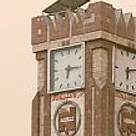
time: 6:15
